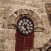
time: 5:06
